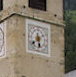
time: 5:38
